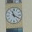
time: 11:19
